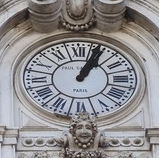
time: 1:03
